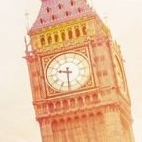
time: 9:31
